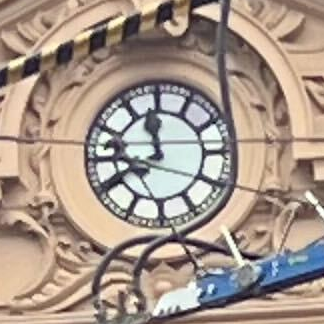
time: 11:40
